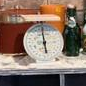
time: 5:59
